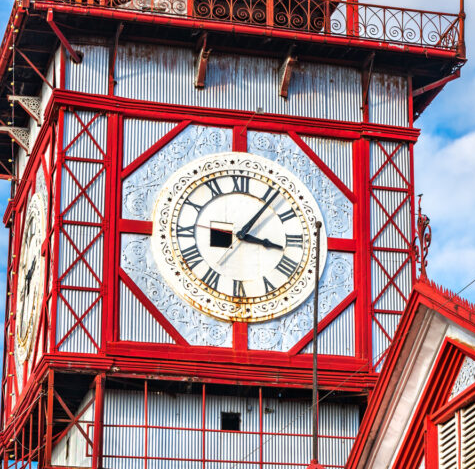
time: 3:06
